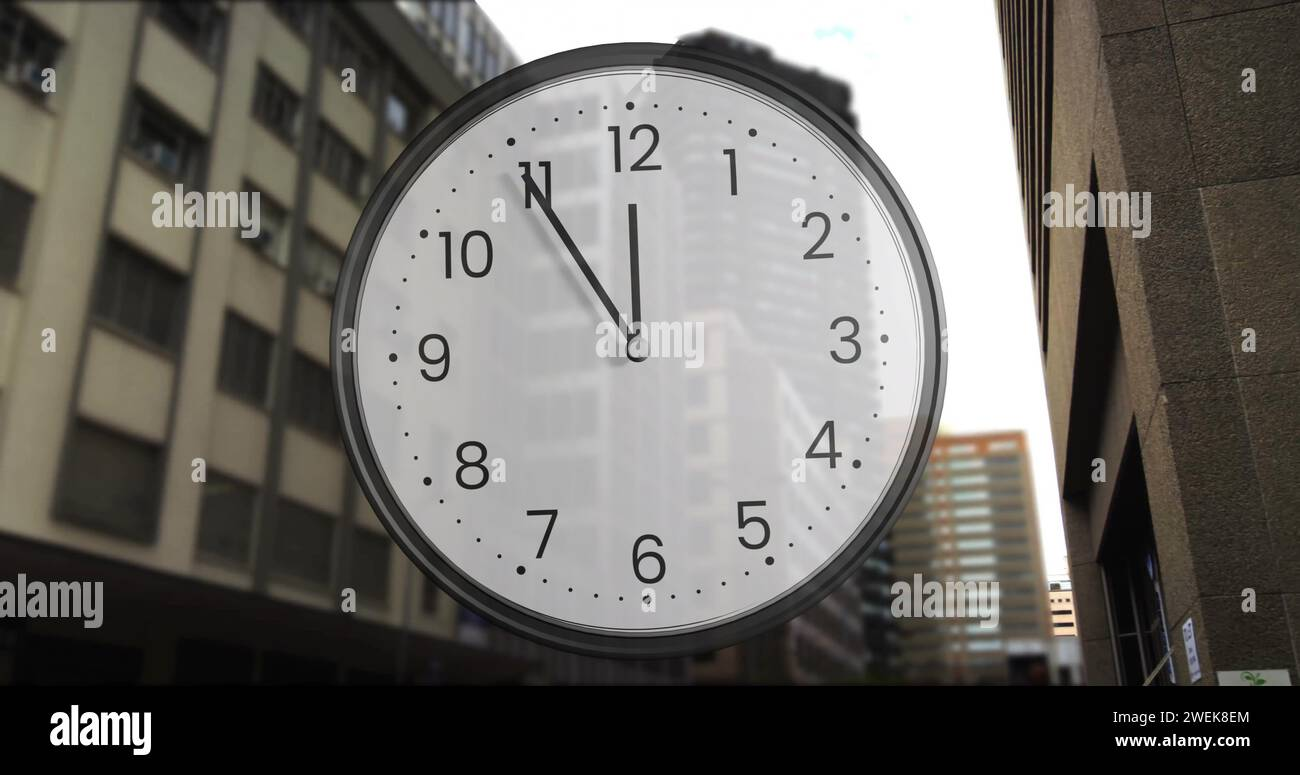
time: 11:54
